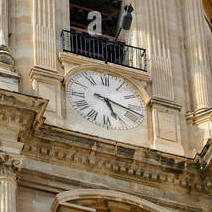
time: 5:18
